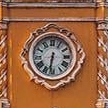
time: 6:32
